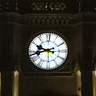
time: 9:42
